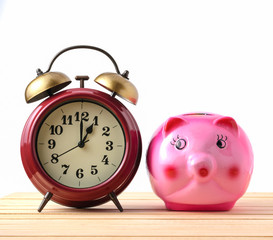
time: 1:00
